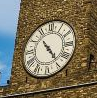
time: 4:53
